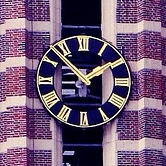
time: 1:53
